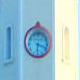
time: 6:18
